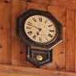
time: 6:47
